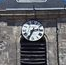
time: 2:34
